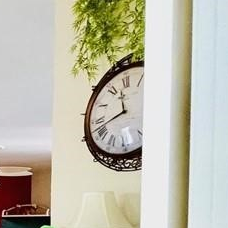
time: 11:42
